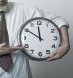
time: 11:50
